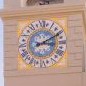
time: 3:09
